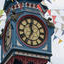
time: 11:34
